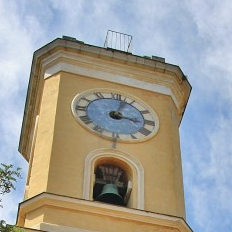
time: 3:02
